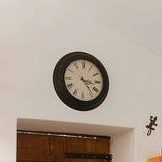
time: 3:22
